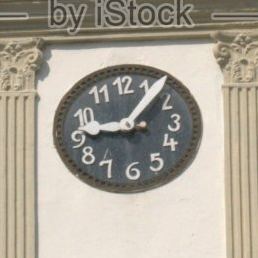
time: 9:06
